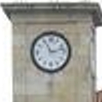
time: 11:12
